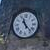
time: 11:23
